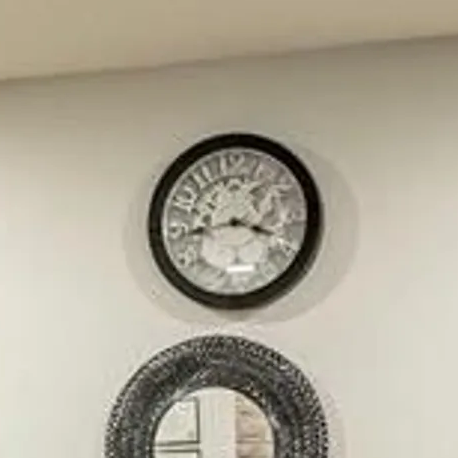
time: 3:43
